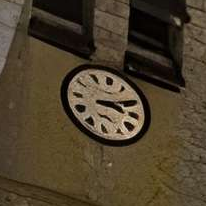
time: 3:11
